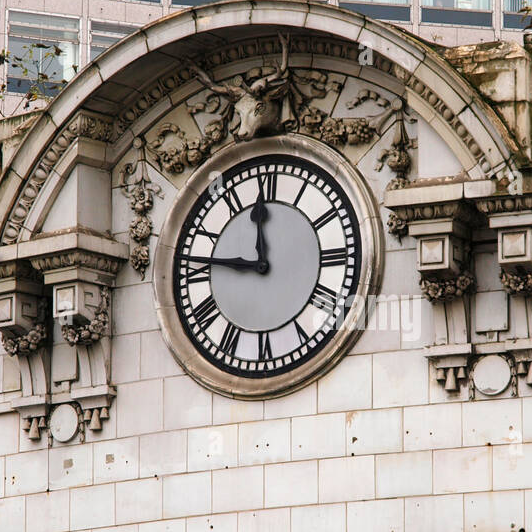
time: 11:46
